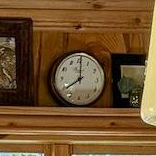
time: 8:00
